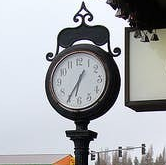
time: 6:35
